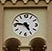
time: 4:46
